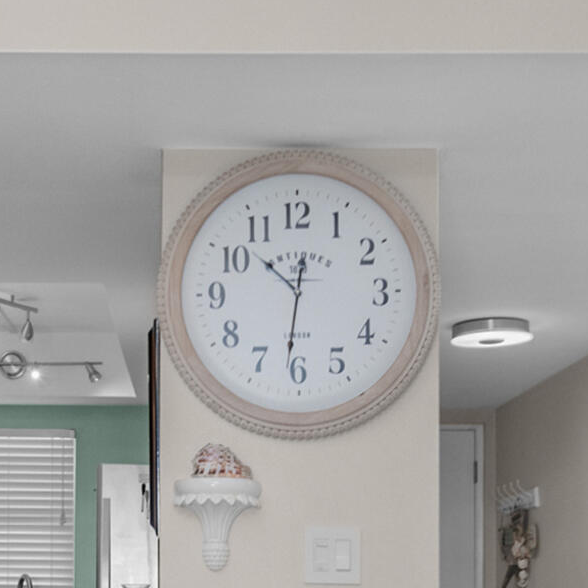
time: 10:31
